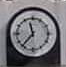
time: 11:36
